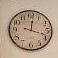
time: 12:18
